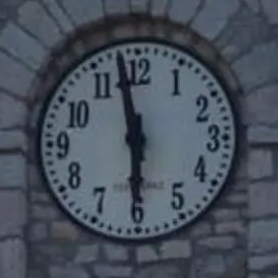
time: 5:58
